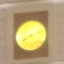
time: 8:12
